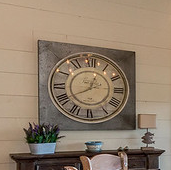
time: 12:40
